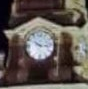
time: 10:15
